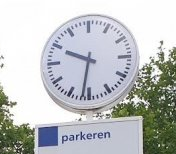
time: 9:31
